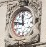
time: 11:46
